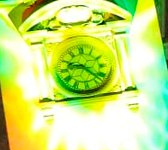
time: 9:22
